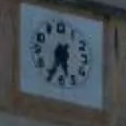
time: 5:34
